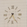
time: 7:25
